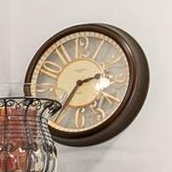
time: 2:35
